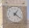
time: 1:21
